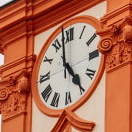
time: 4:58
